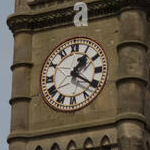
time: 1:20
